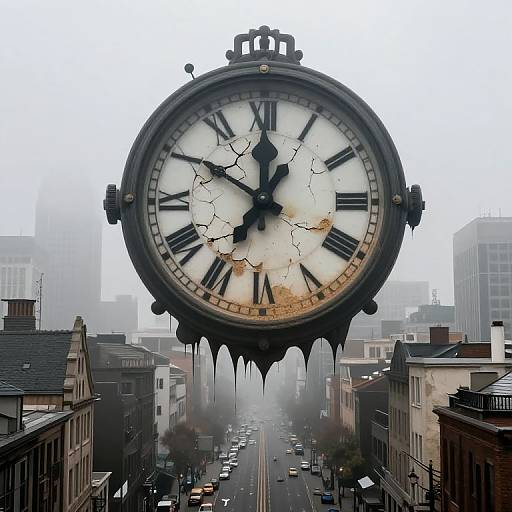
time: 11:50
